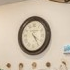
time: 4:24
